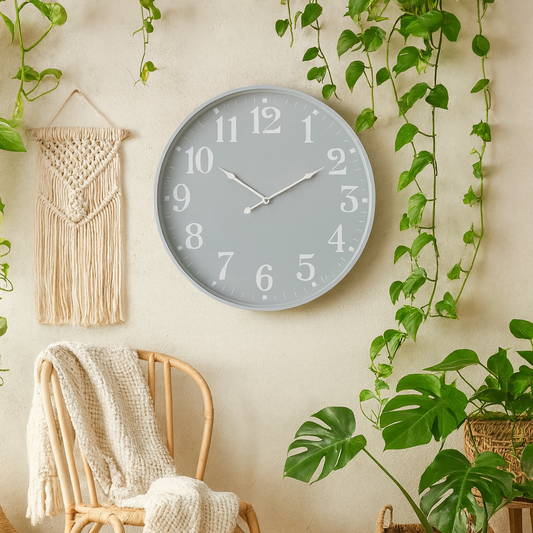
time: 10:10
